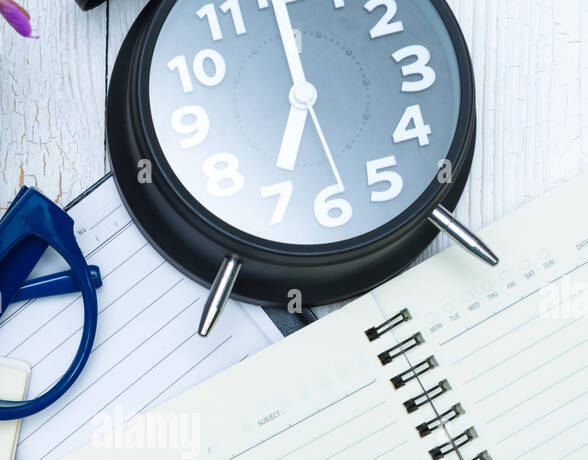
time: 7:00
